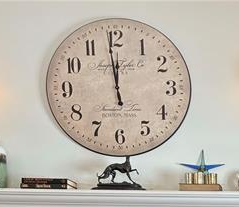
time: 11:58
